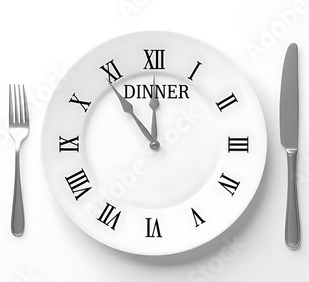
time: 11:53
